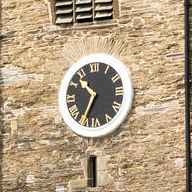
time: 10:34
